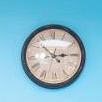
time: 2:53
